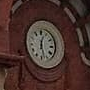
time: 12:27
